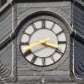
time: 3:40
